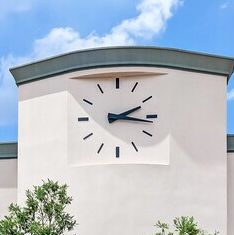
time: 2:16
